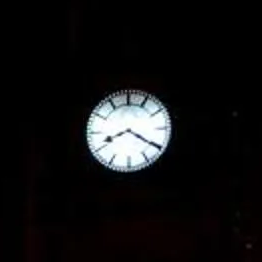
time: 8:20
